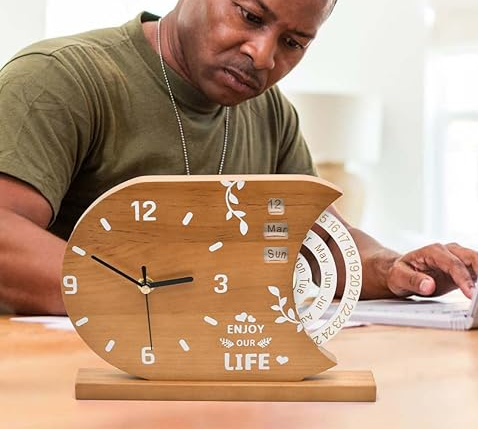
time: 2:50
